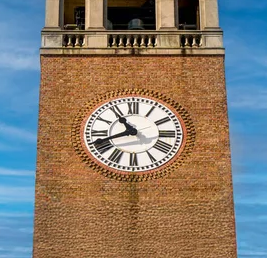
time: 10:41
